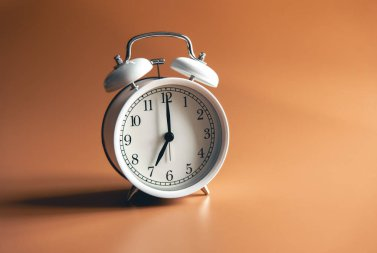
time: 7:00
